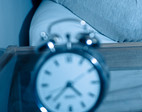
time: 4:37
